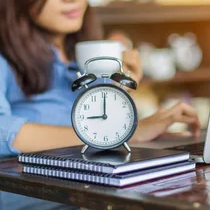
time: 9:00
